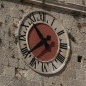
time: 10:38
